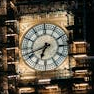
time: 6:41
